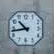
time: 10:43
